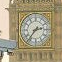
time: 2:36
